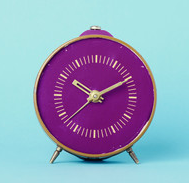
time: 10:10
